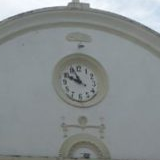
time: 9:56
